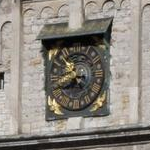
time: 10:42
